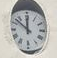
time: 11:52
